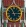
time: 11:14
